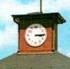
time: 3:14
